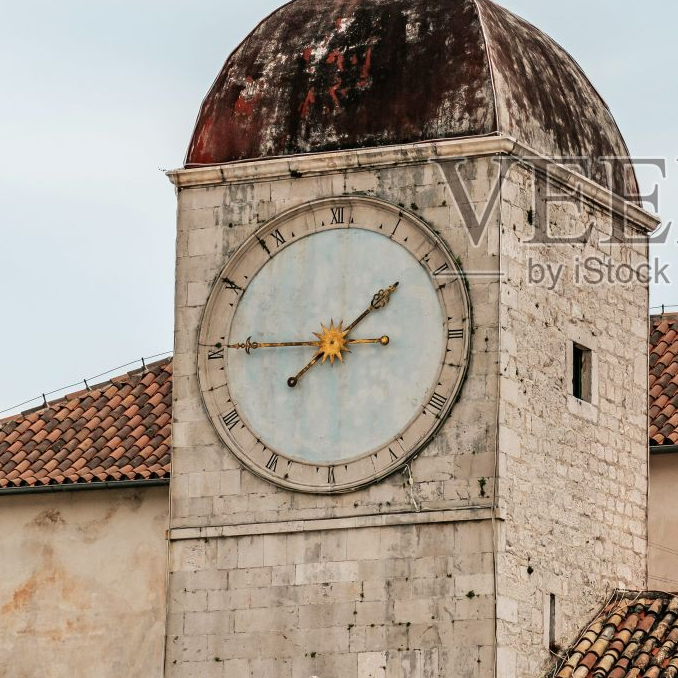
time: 1:45
